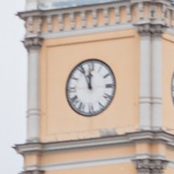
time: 11:55
